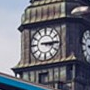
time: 3:14
